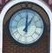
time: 12:05
